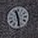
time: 11:28
